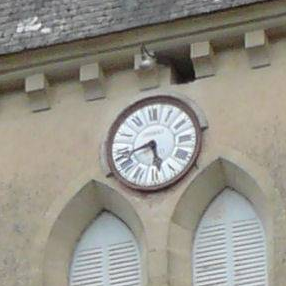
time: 5:42
